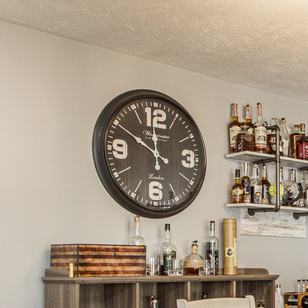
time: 11:49
